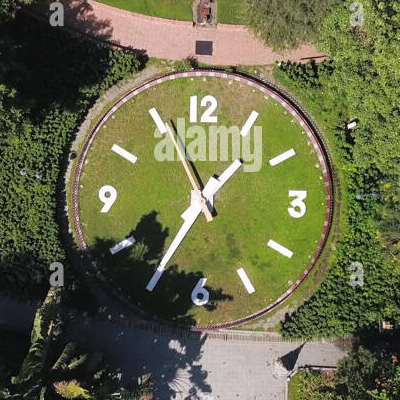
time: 1:35
